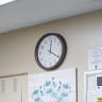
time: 12:20
